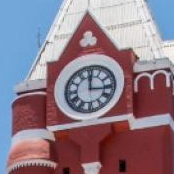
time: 2:59
